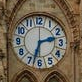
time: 2:33
